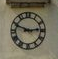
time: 2:48
